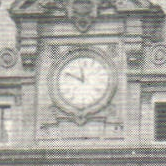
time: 11:48
